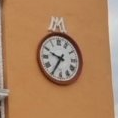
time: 9:35
